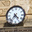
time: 4:36
